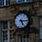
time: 5:15
